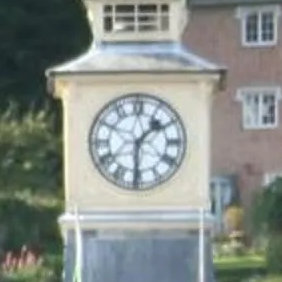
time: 1:30
